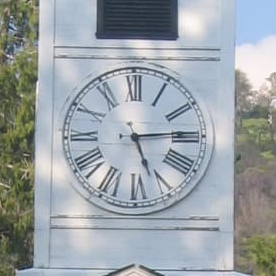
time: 5:14
